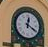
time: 12:20
